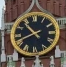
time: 10:41
